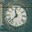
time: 11:37
